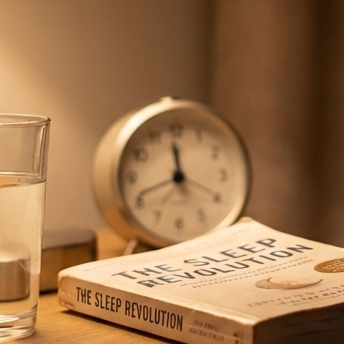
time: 11:41
